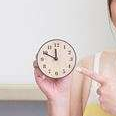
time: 11:49
